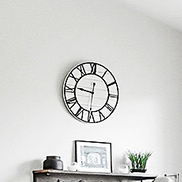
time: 9:30
